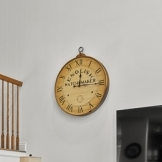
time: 12:14
